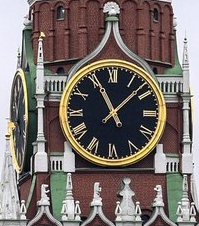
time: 11:07
